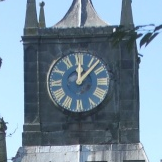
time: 12:07
